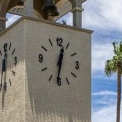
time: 12:31
